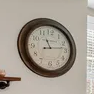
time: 11:13
